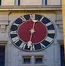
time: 12:31
